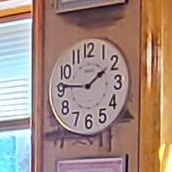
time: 1:46
